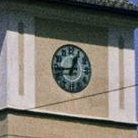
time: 12:43
